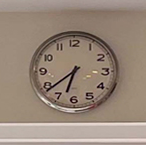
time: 6:38
